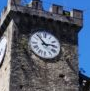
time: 2:52
